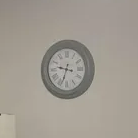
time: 9:33
